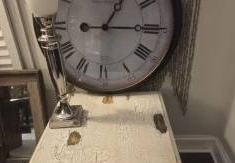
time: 1:14
